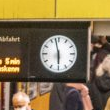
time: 5:57
